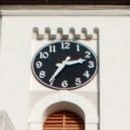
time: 2:35
